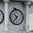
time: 10:36
